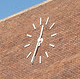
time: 12:32
